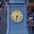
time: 6:32
